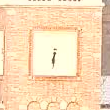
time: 6:31
